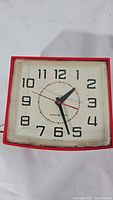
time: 1:27
